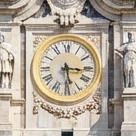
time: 3:28
